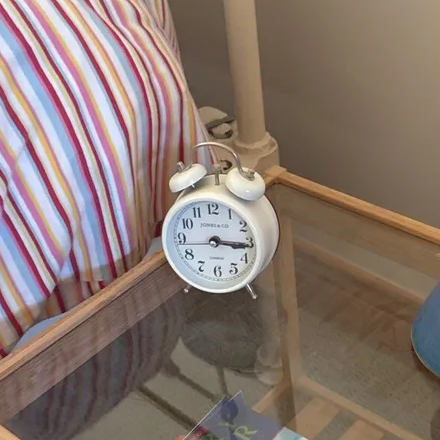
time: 3:15
